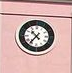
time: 10:36
